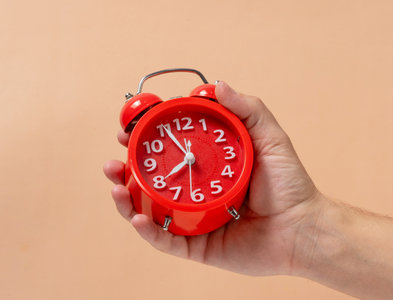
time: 7:55
